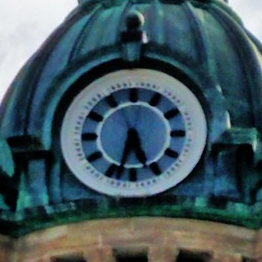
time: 5:33
